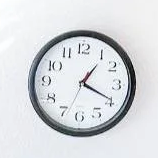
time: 1:19
